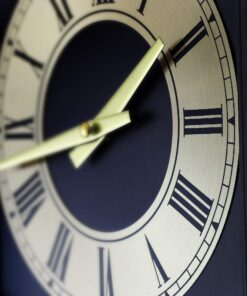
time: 1:42
